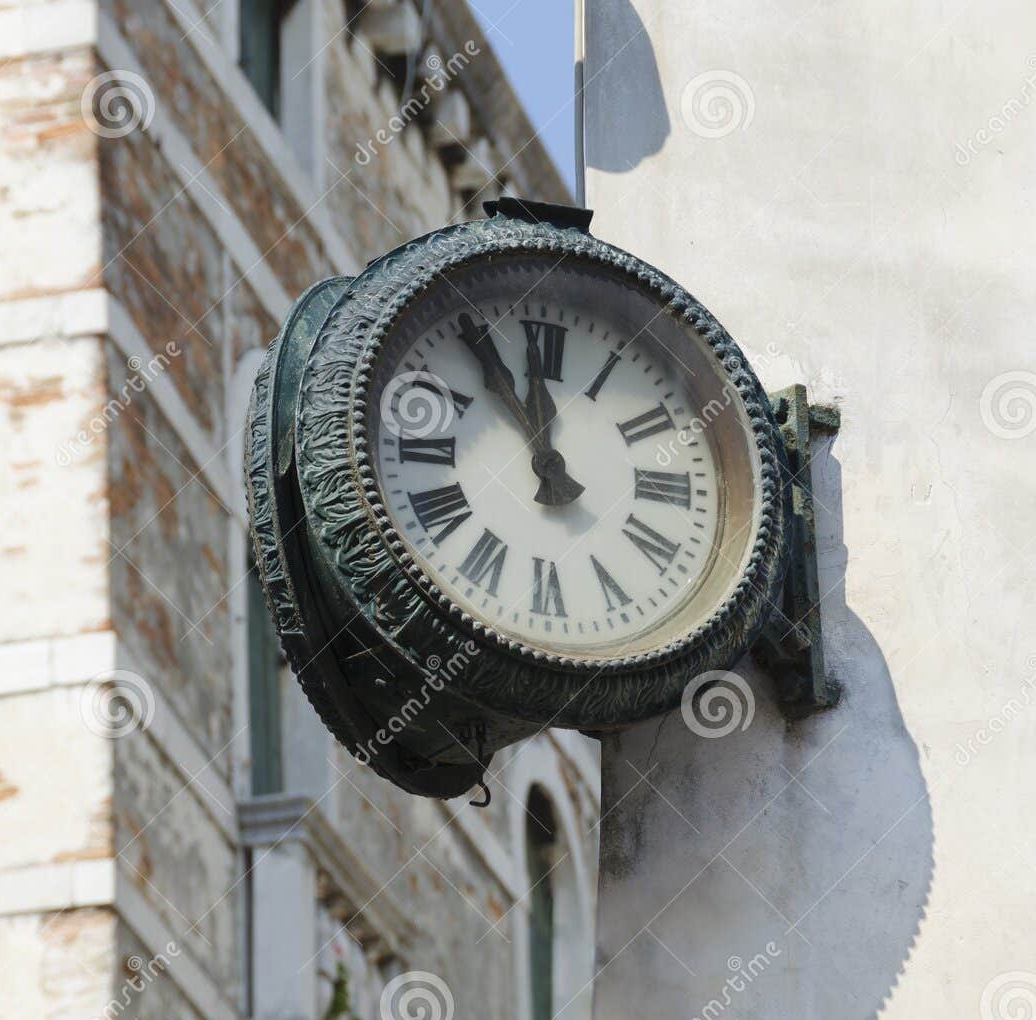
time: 11:55
